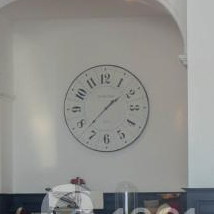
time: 1:37
